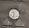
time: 11:32
